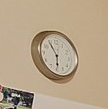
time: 5:54
